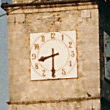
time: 8:30
